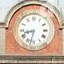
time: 8:32
